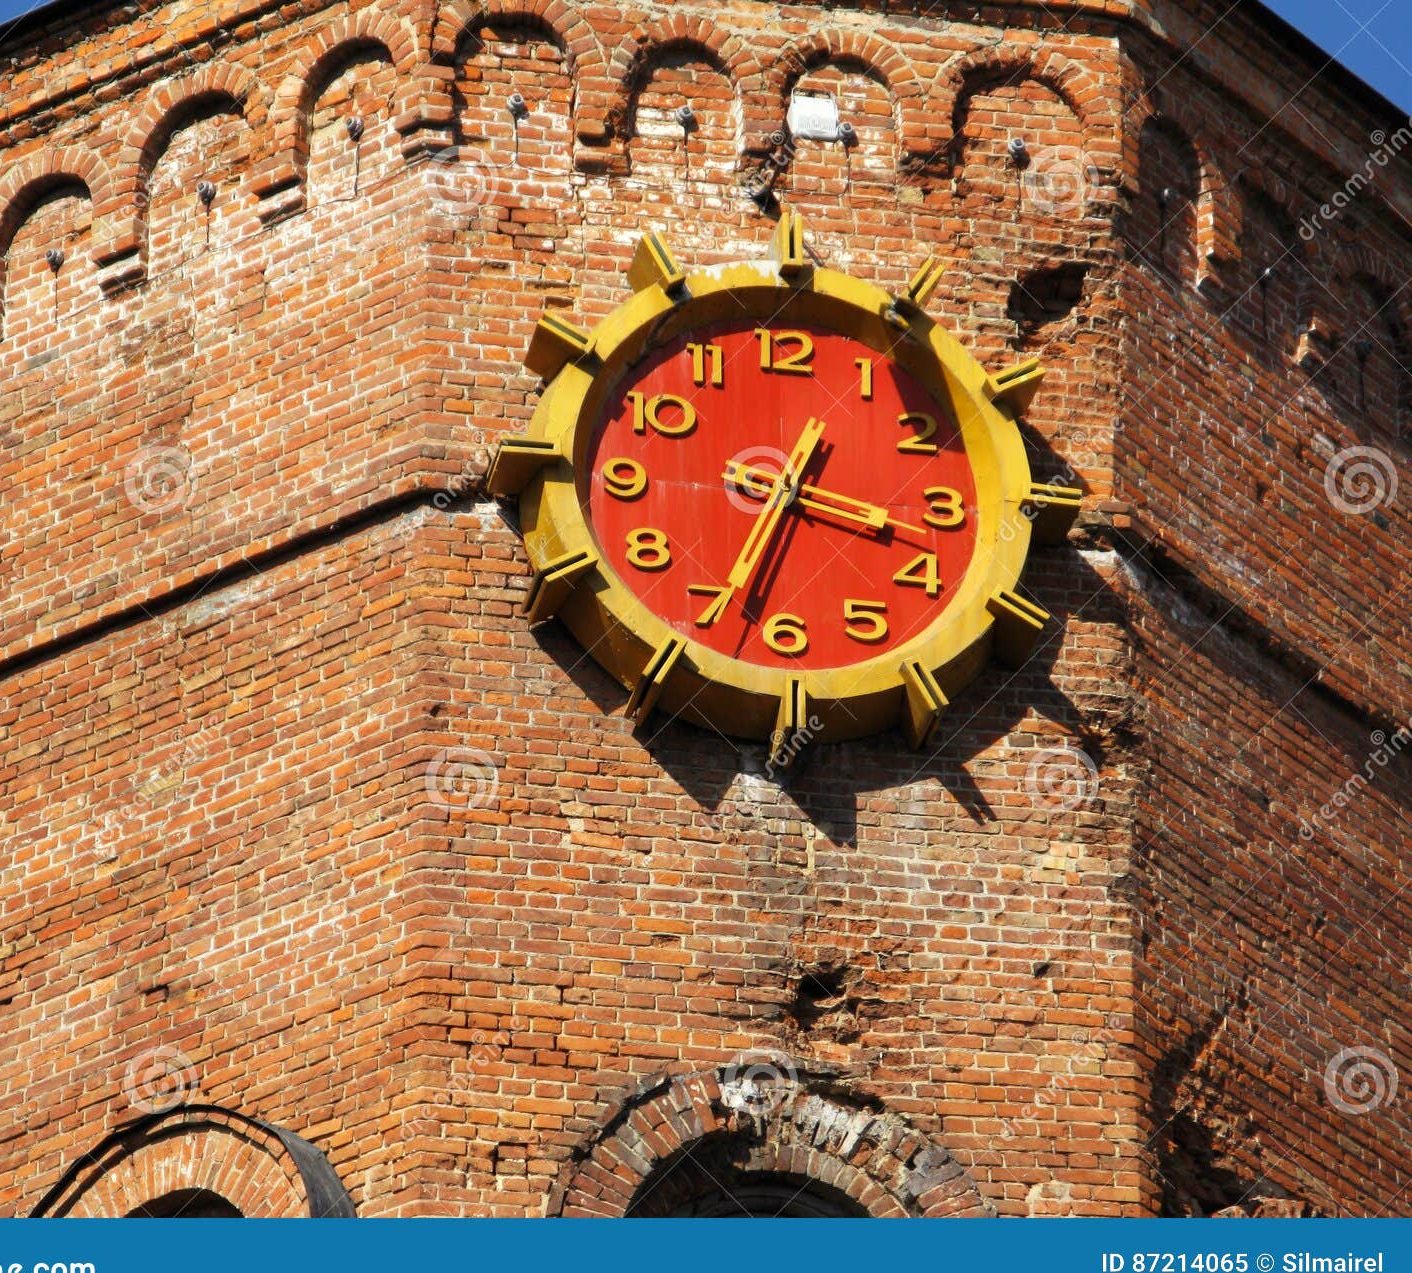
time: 3:33
